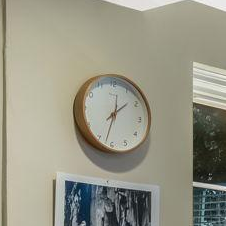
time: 1:32
